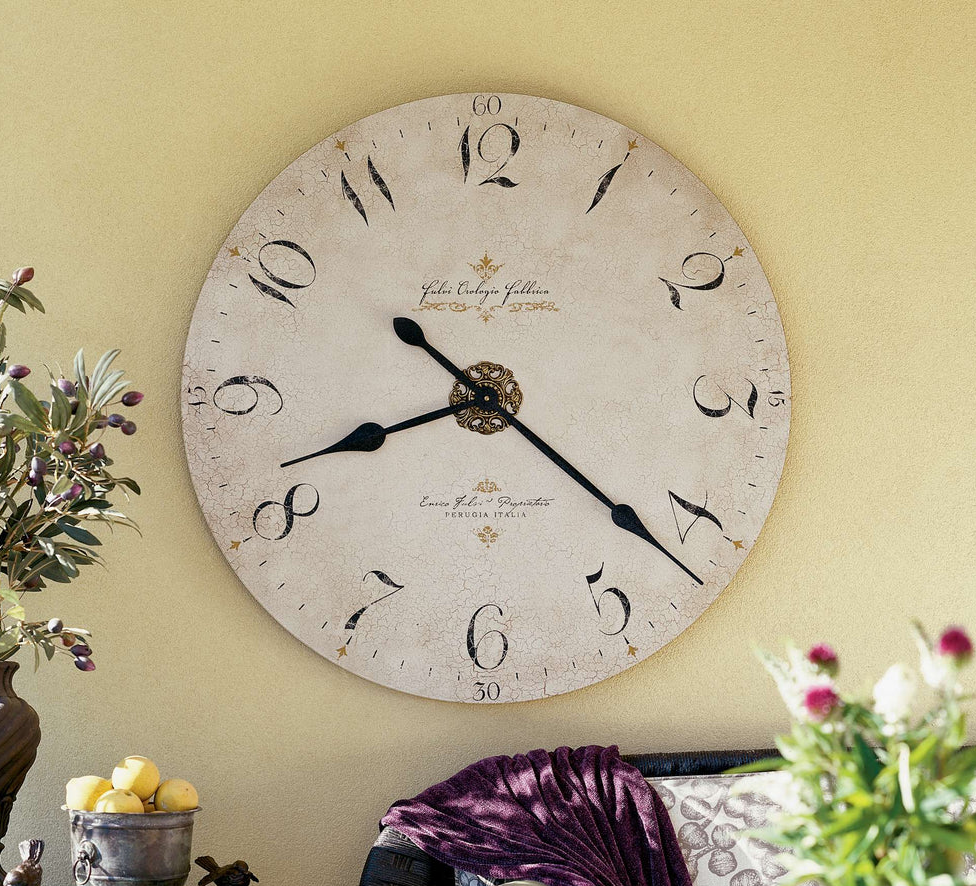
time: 8:21
